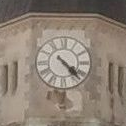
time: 4:22
